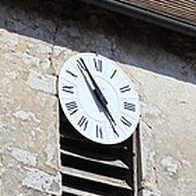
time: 4:55
